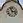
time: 2:56
